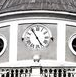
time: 4:54
